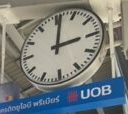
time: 3:01
